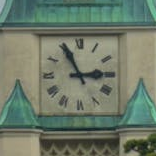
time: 2:55
